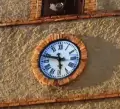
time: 5:47
